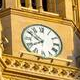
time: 7:50
